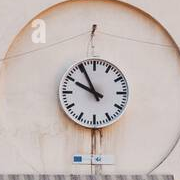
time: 9:55
